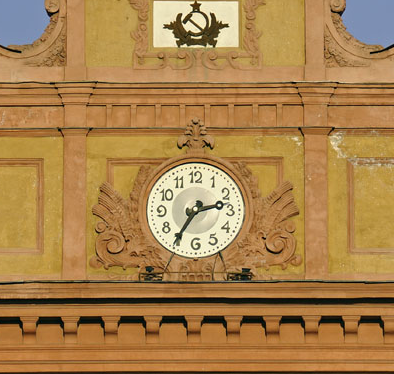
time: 2:35
